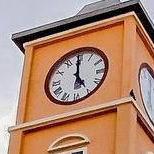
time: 4:59
